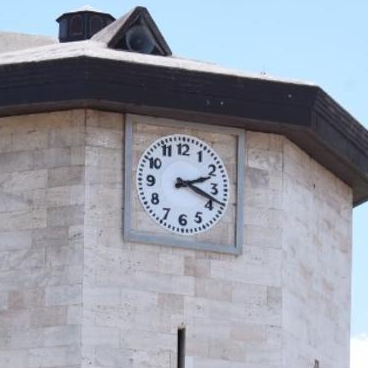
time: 2:18
